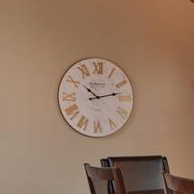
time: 10:12
